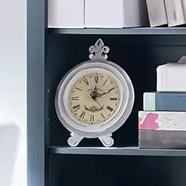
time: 12:10
